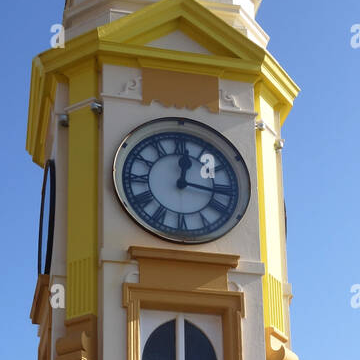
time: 12:17
